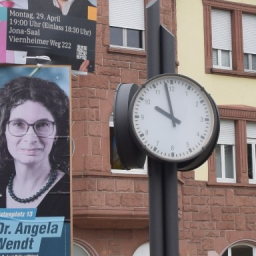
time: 9:58
